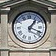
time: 1:18
